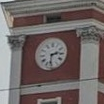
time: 2:31
